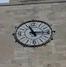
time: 11:15
